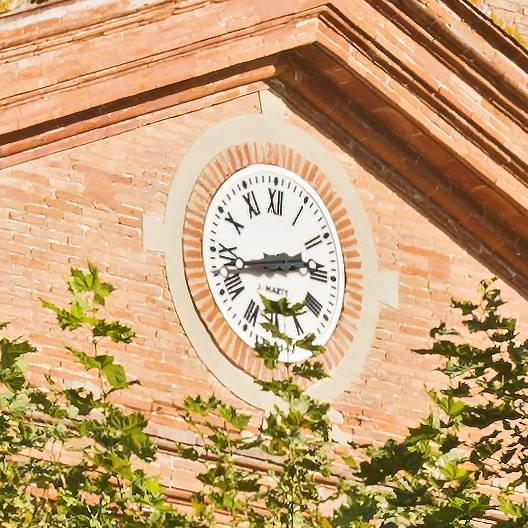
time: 2:42
